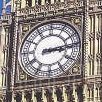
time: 3:13
